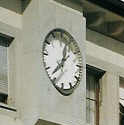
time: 12:37
